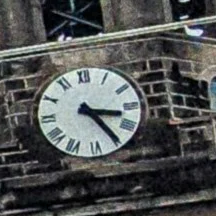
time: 3:24
